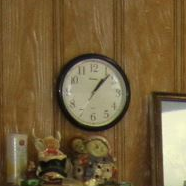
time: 1:07
